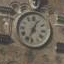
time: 12:33
